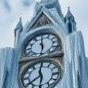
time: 5:59
